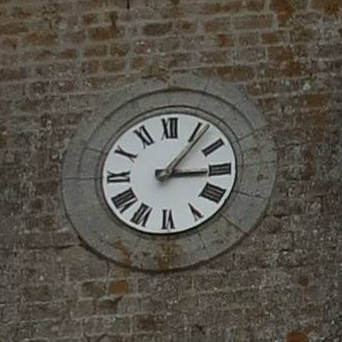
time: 3:06
